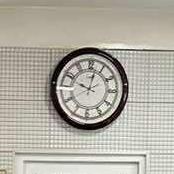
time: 10:02
